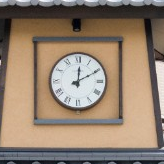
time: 12:10
